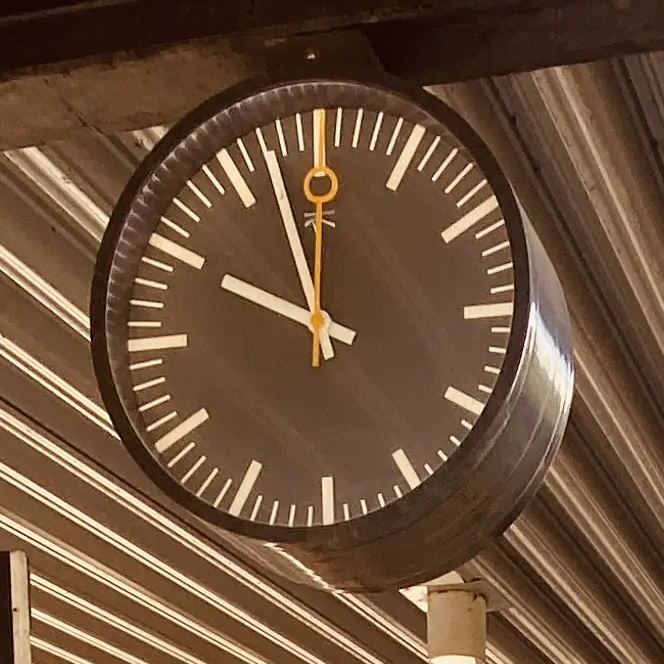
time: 9:57
